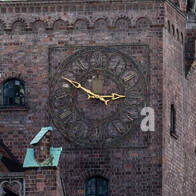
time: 2:49
